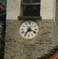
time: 7:18
